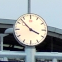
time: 3:52
